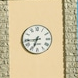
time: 6:44
